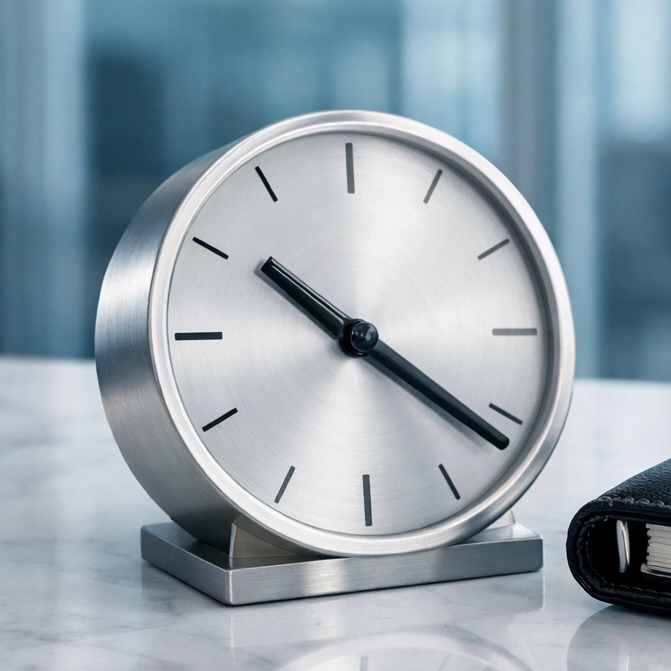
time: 10:21
